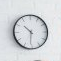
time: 10:31
